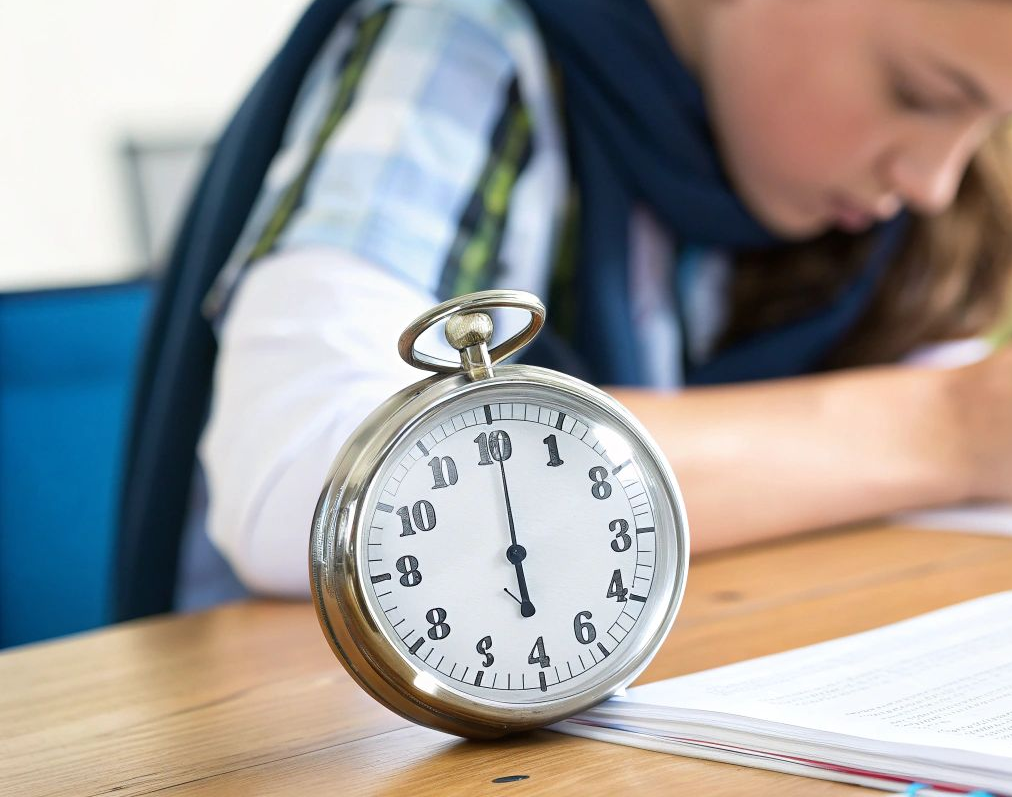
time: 6:00
